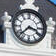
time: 3:37
